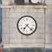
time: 7:22
